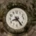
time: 8:23
